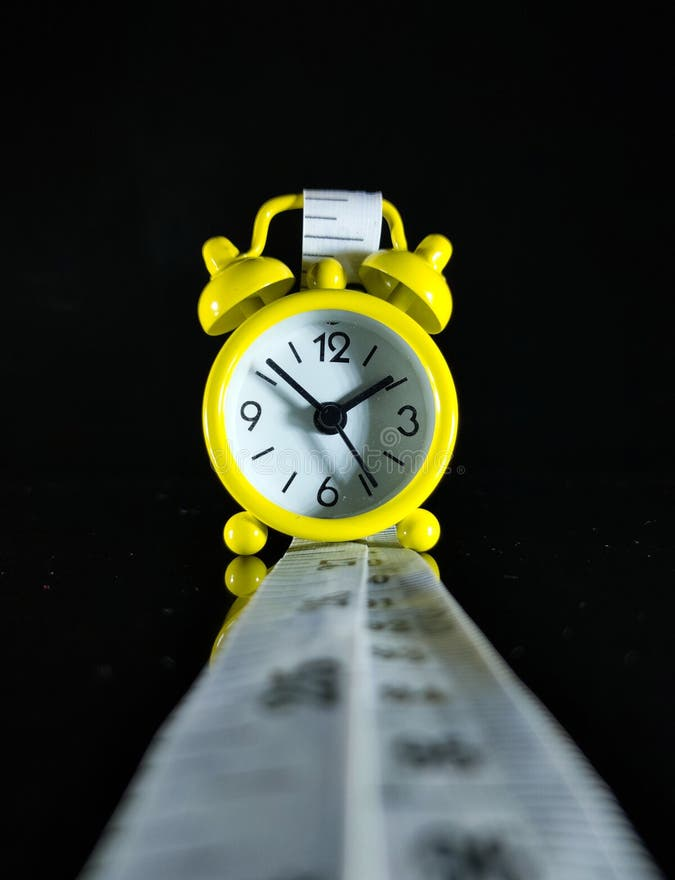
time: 1:51
